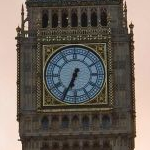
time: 6:34
